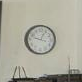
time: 12:47
